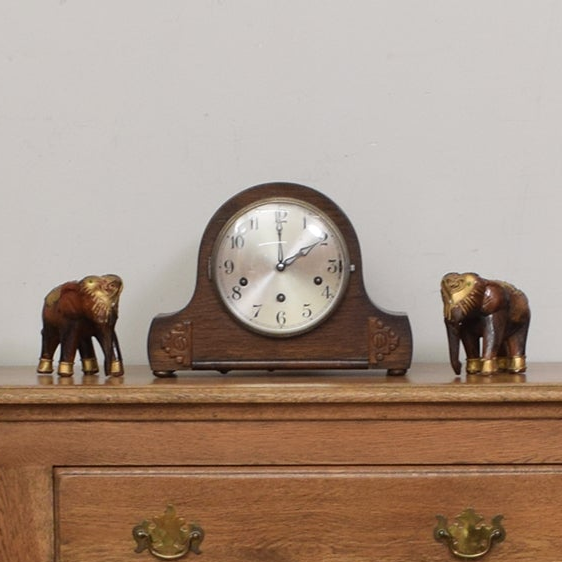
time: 2:00
